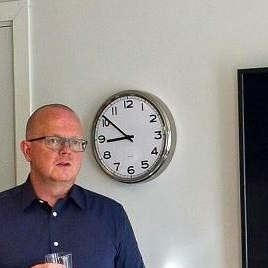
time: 8:51
